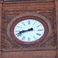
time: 8:42
